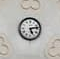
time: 5:13
